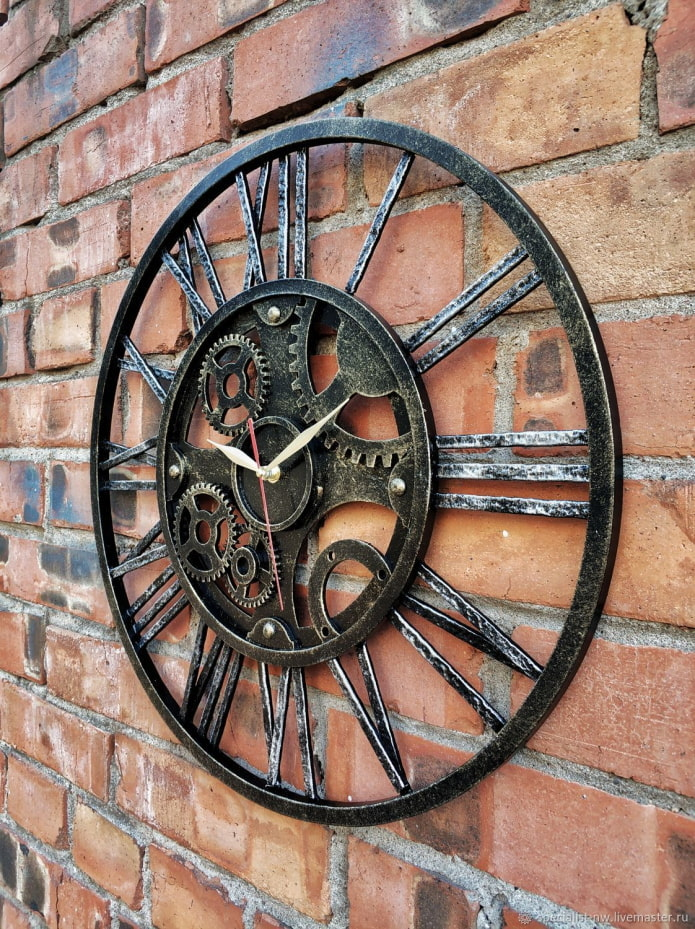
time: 1:47
